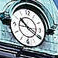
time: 10:20
